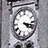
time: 4:17
